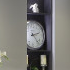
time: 2:23
